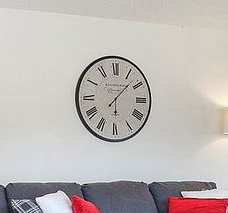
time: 6:07
